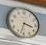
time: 3:32
